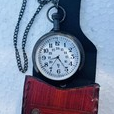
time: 8:24
